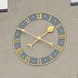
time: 1:49
